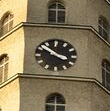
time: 3:50
